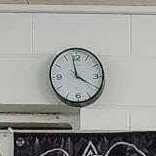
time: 3:58
